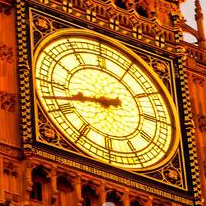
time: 8:42
